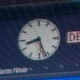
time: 8:26
